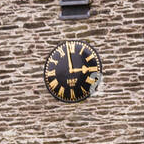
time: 2:58
